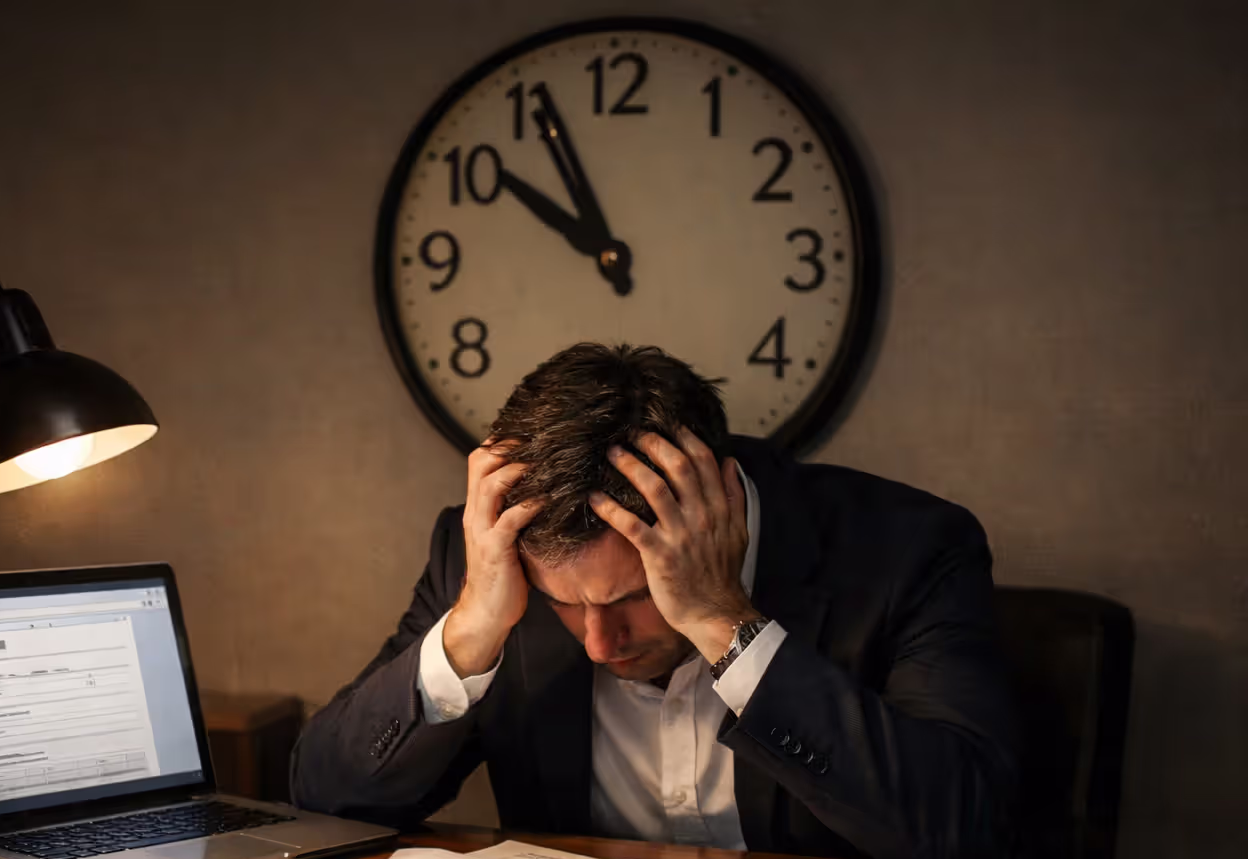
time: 9:55
